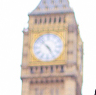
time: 4:52
